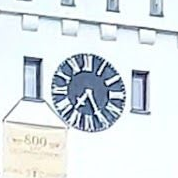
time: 7:25
